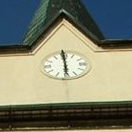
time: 5:59
